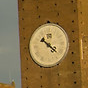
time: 10:21
